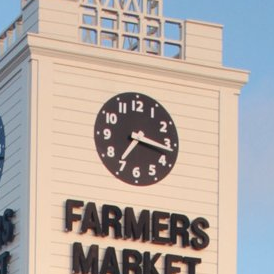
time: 7:17
